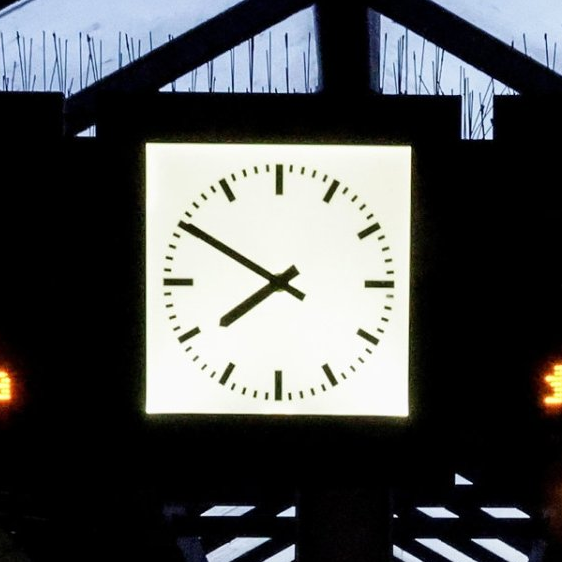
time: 7:50
